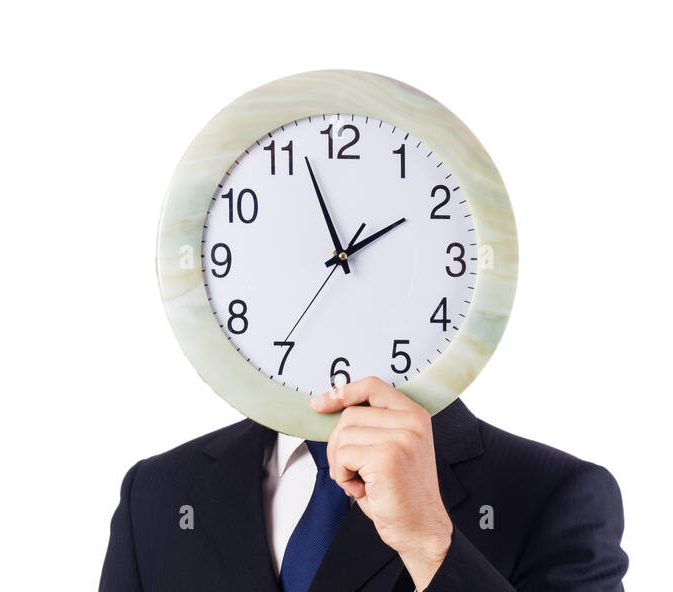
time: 1:56
